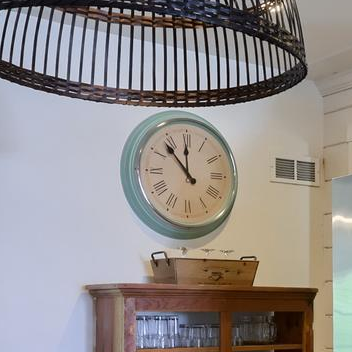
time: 11:53
